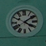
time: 4:09
